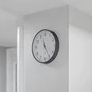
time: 11:24
